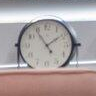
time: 1:54
